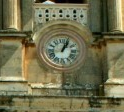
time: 1:03
